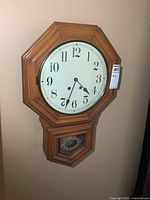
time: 4:33
